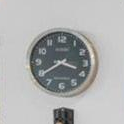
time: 3:39
